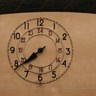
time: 7:39
